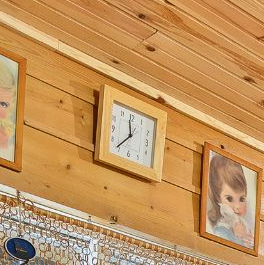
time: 11:36
